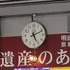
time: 5:11
